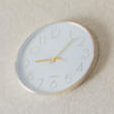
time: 9:07
